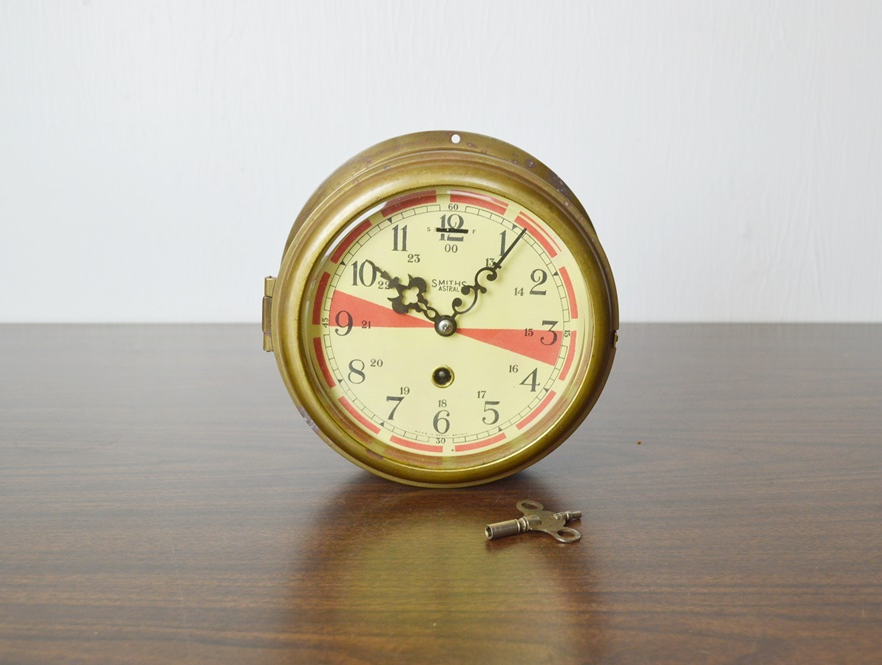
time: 10:06
